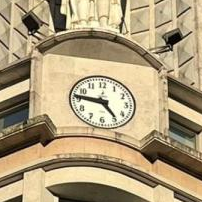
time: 4:46
